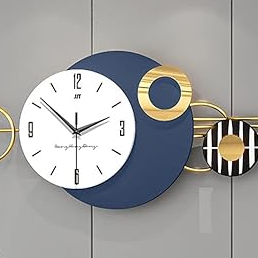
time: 1:51
